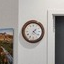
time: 1:21
